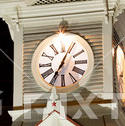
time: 7:04
